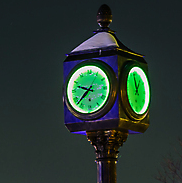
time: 9:37
